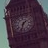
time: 1:32
